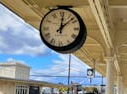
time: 12:07
